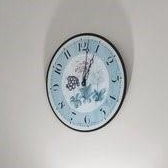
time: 1:02
